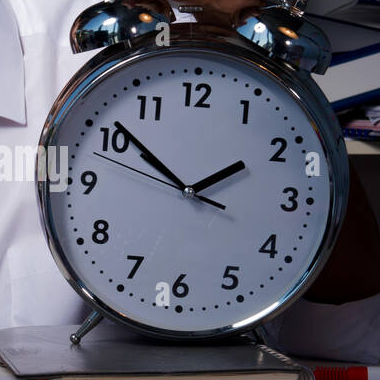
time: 1:51
